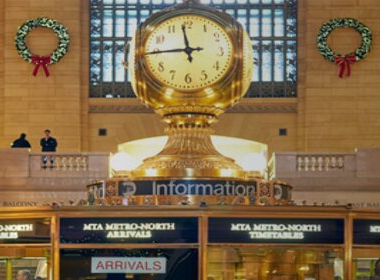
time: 11:44
